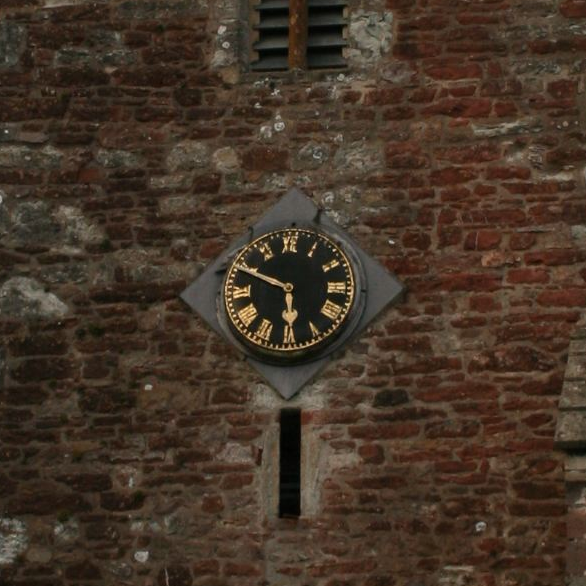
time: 5:49
